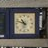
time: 10:48
